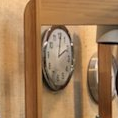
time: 2:00
